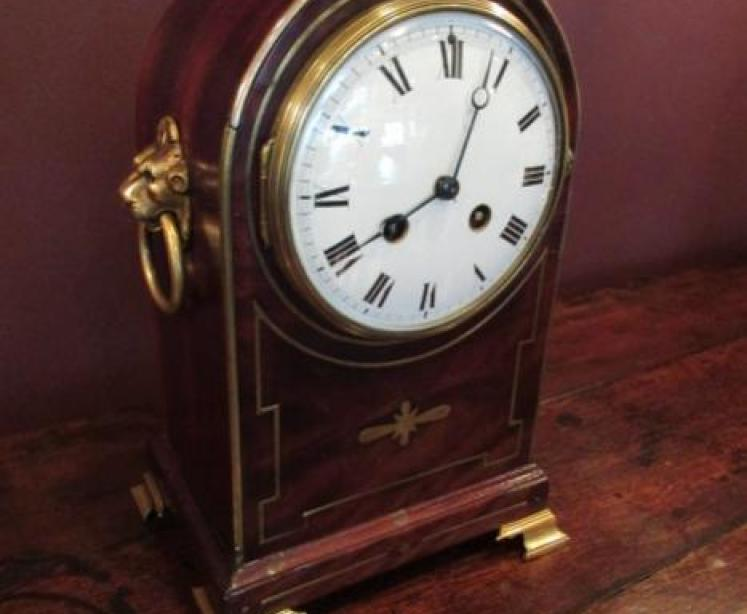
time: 8:03
